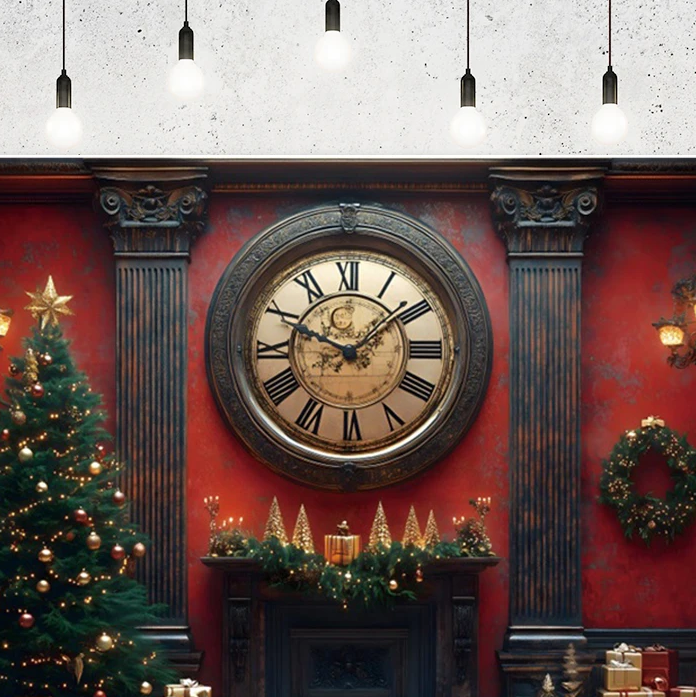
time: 1:49
